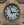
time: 2:56
